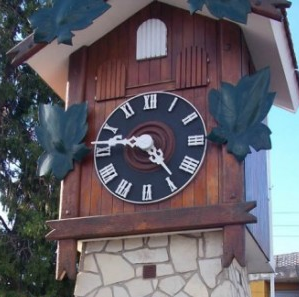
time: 4:47
